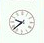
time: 9:38
